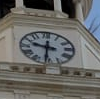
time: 9:31
